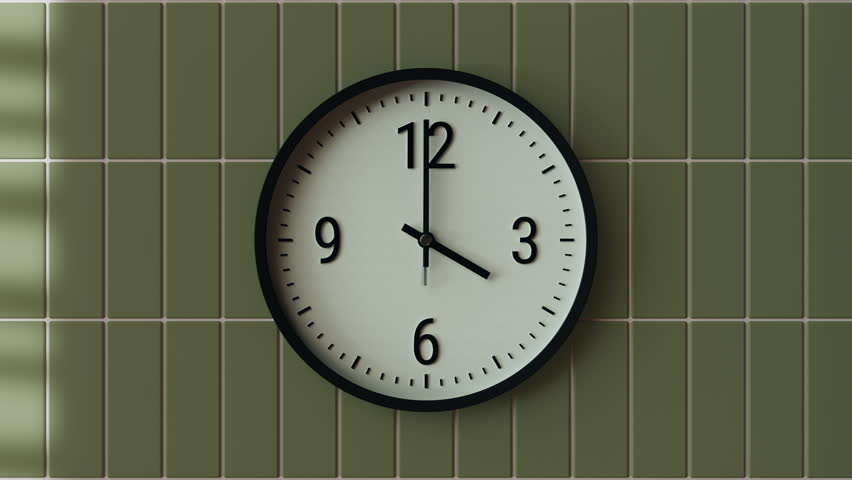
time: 3:59
